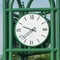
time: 9:38
